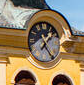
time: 1:23
